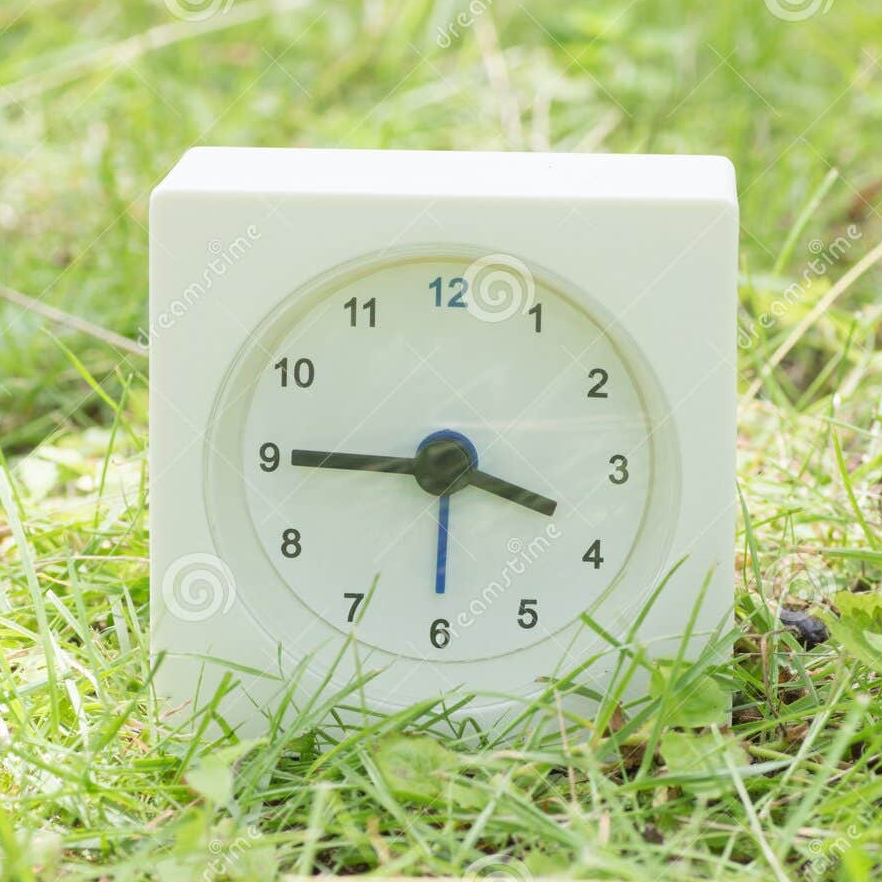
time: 3:45
